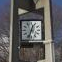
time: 12:33
